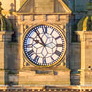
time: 9:54
